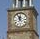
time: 11:55
